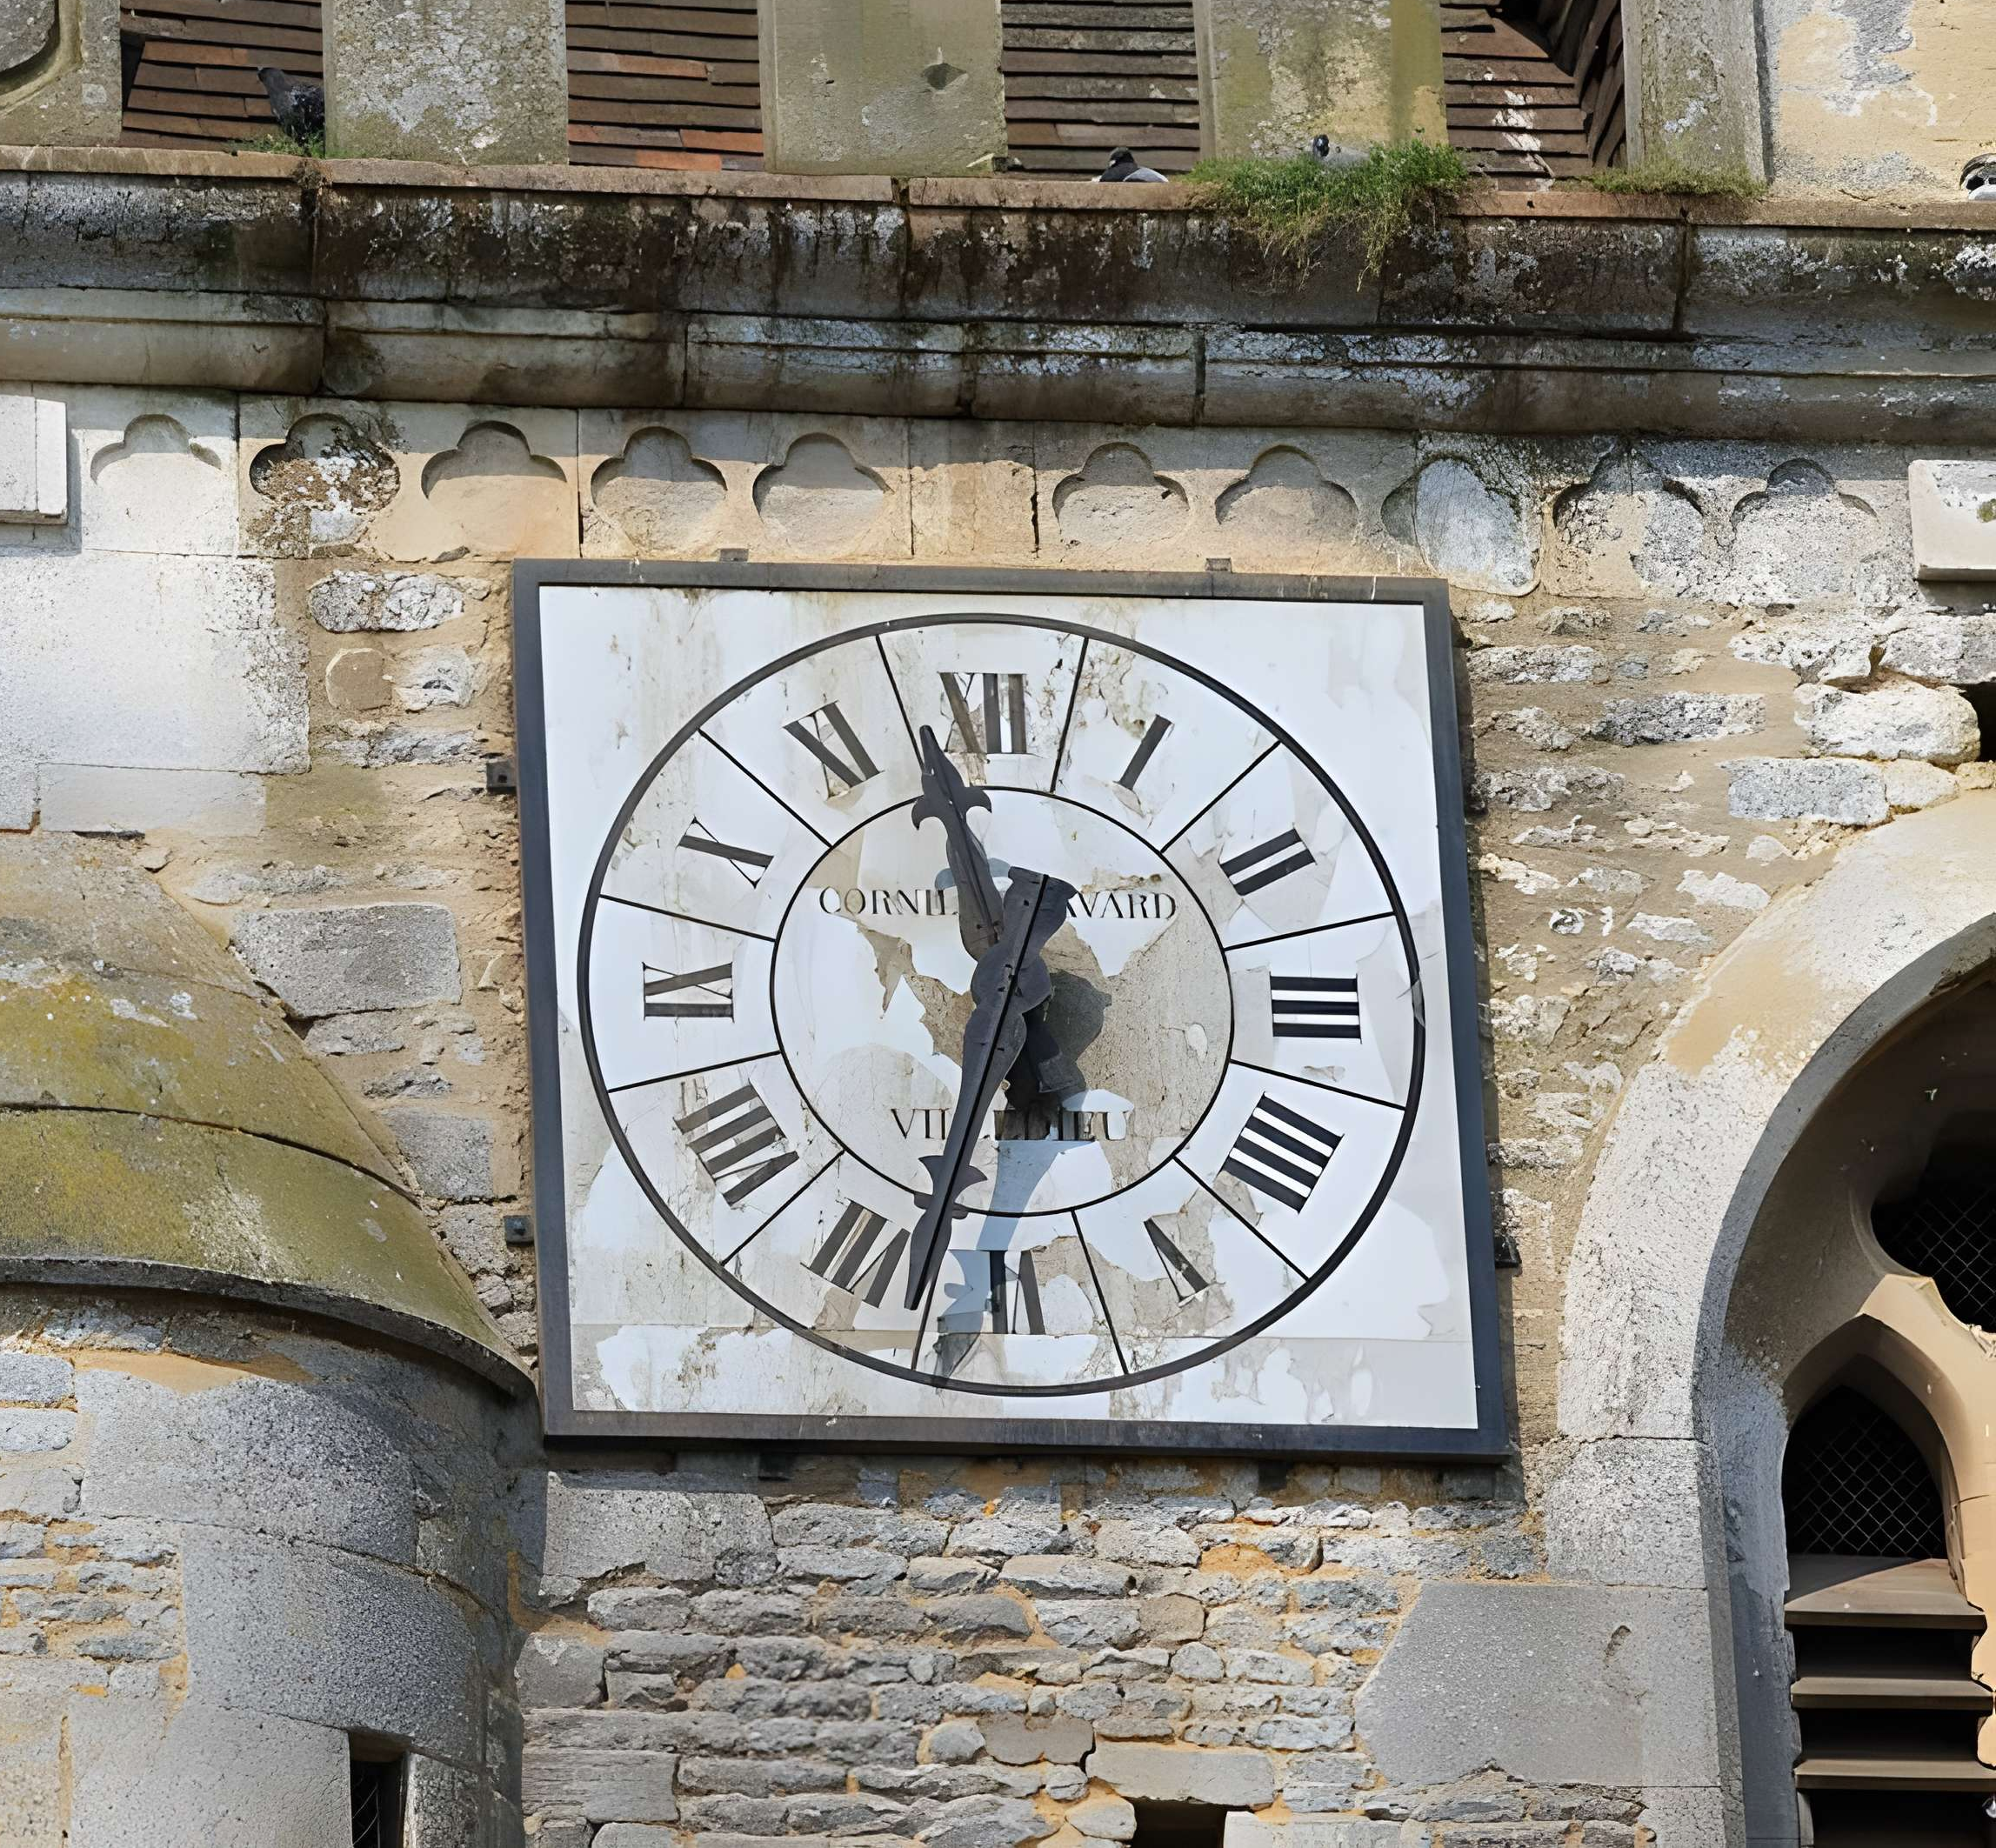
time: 11:32
